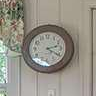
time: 2:20
